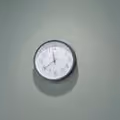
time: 11:38
